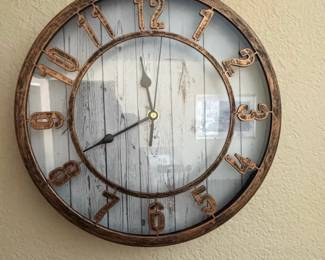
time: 11:40
